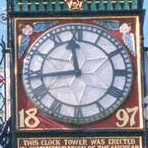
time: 11:43
